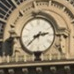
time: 2:38
